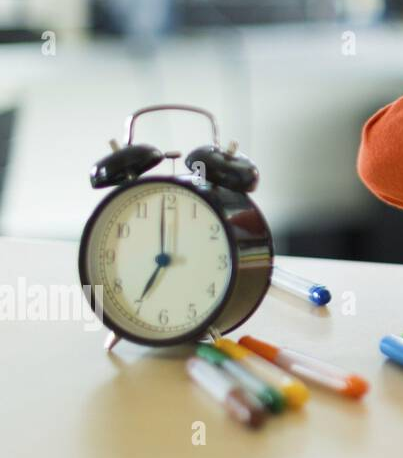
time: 7:00
